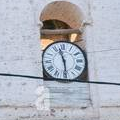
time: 11:29
